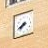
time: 7:40
